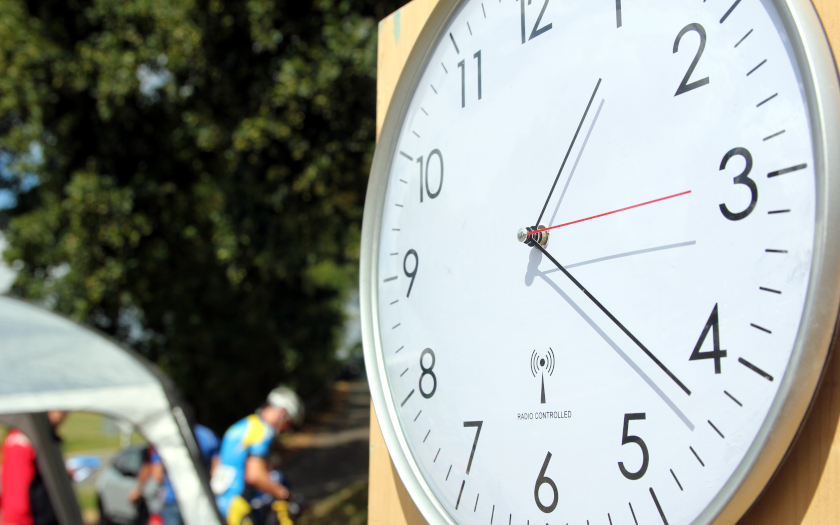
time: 1:21
